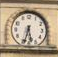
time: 5:33
